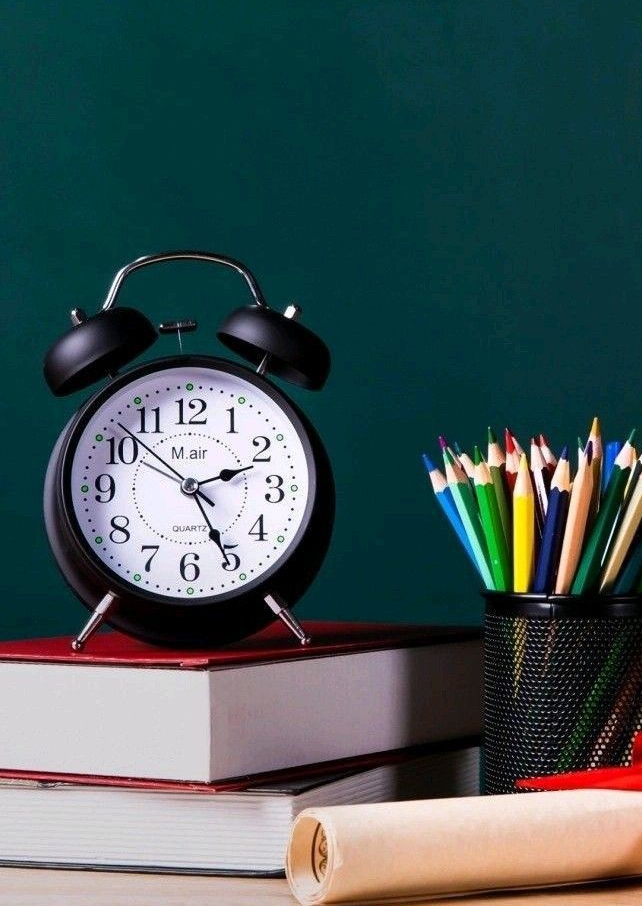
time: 2:25
